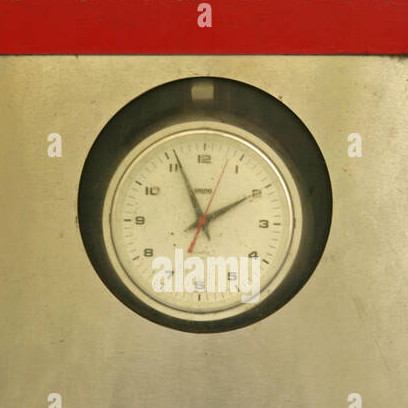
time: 1:56
